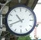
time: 10:41
